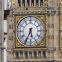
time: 5:34
